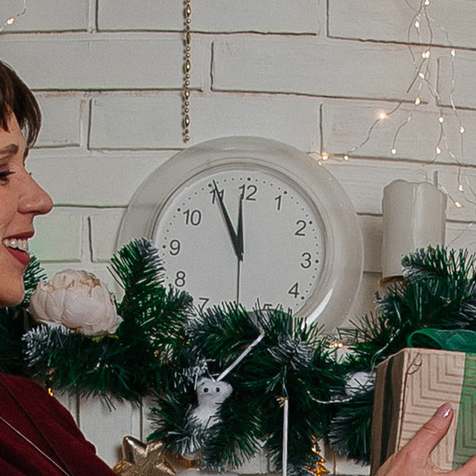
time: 11:55
